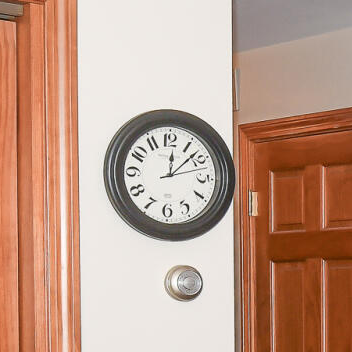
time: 12:07
